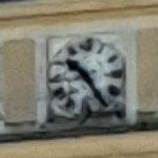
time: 10:24
